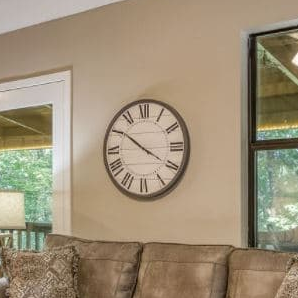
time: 3:50
